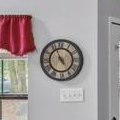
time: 4:56
